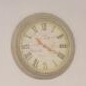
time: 10:19
